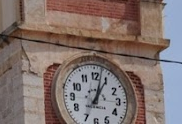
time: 1:02
